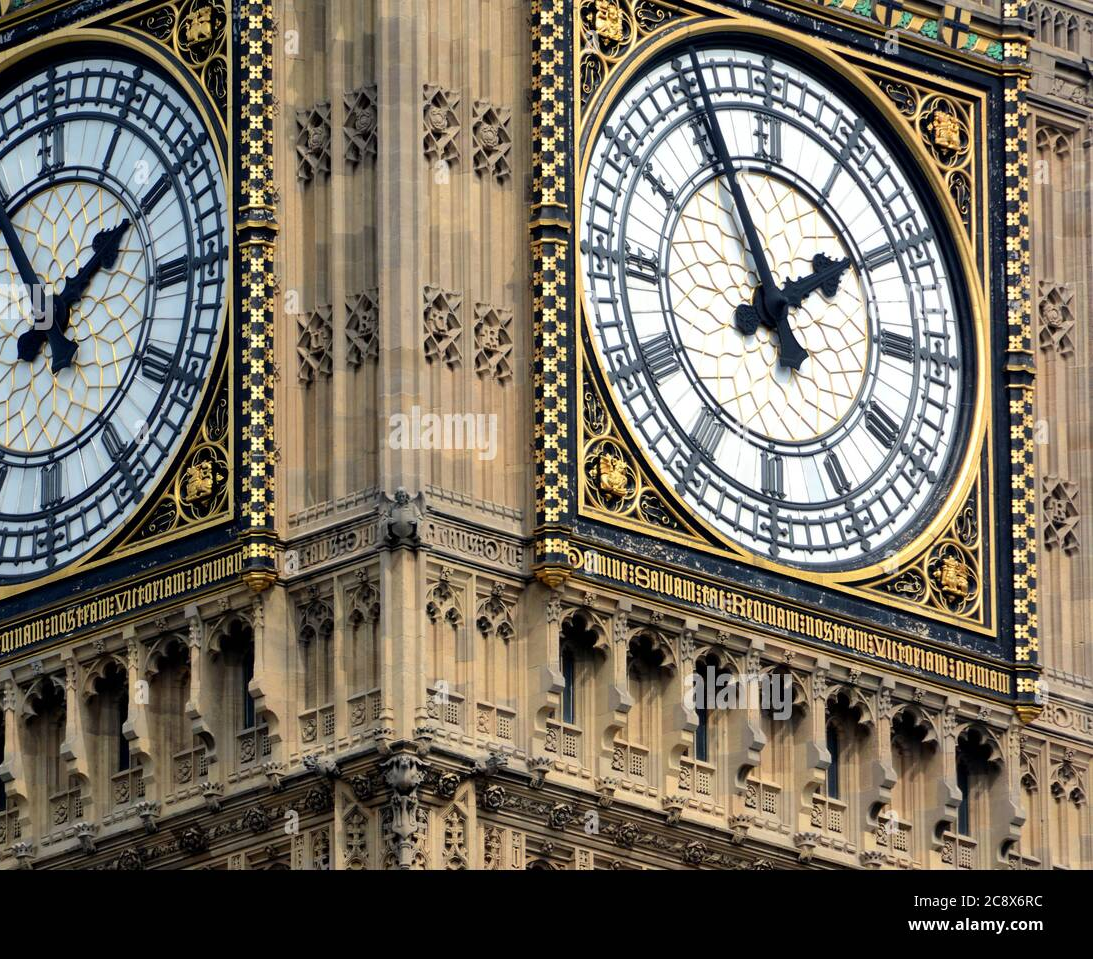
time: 1:55
